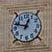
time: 12:48
